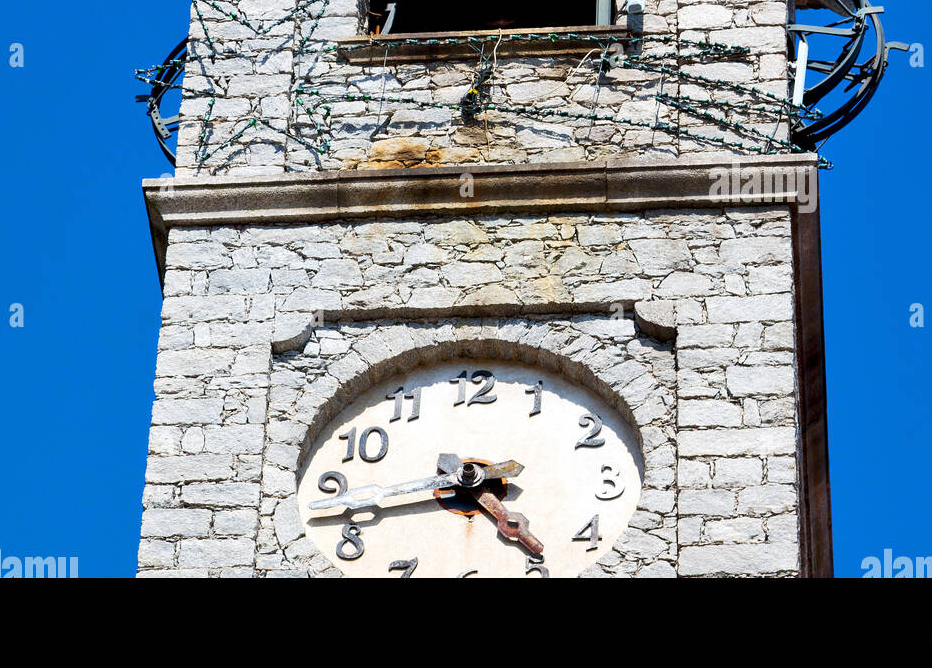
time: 4:42
